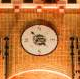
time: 6:52
